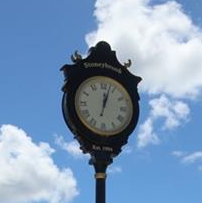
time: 12:03
